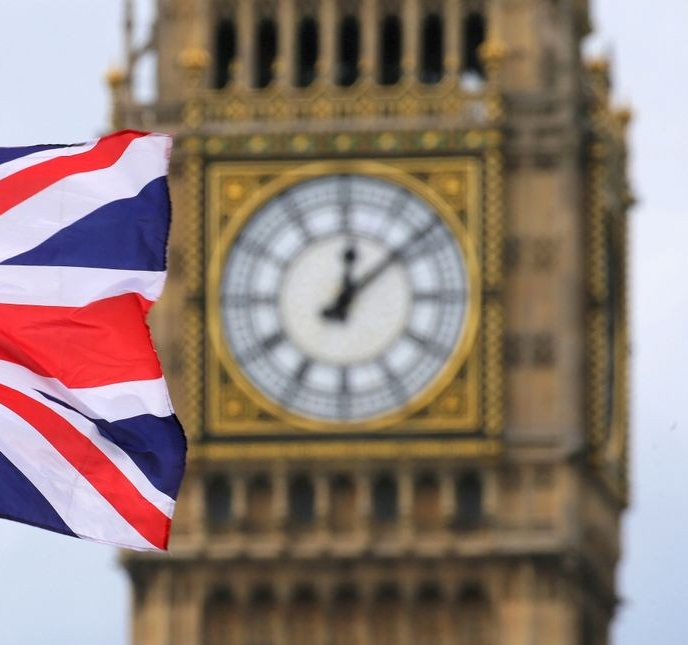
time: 12:08
